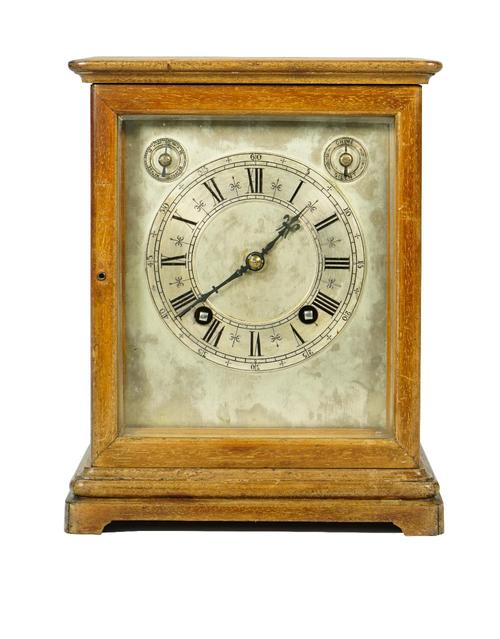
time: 1:39
